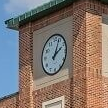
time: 2:03
